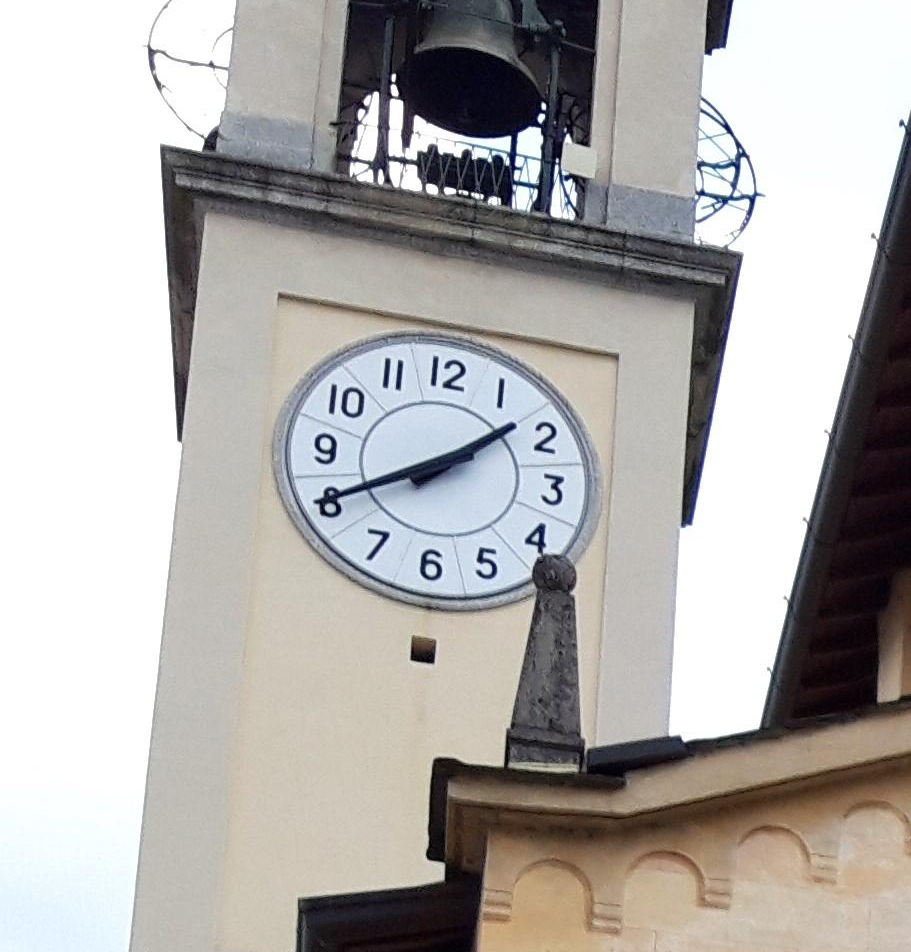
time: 1:40
